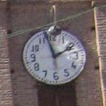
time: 1:57
